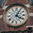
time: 4:04
